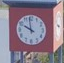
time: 9:58
